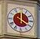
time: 4:00
